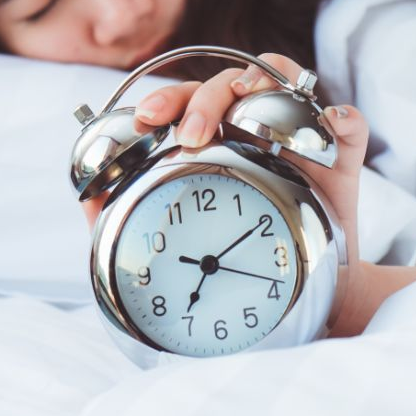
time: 7:09
